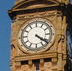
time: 4:21
